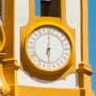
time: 6:01
